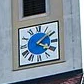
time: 4:08
